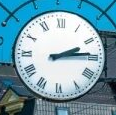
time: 2:14
